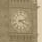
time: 4:12
